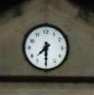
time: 7:30
